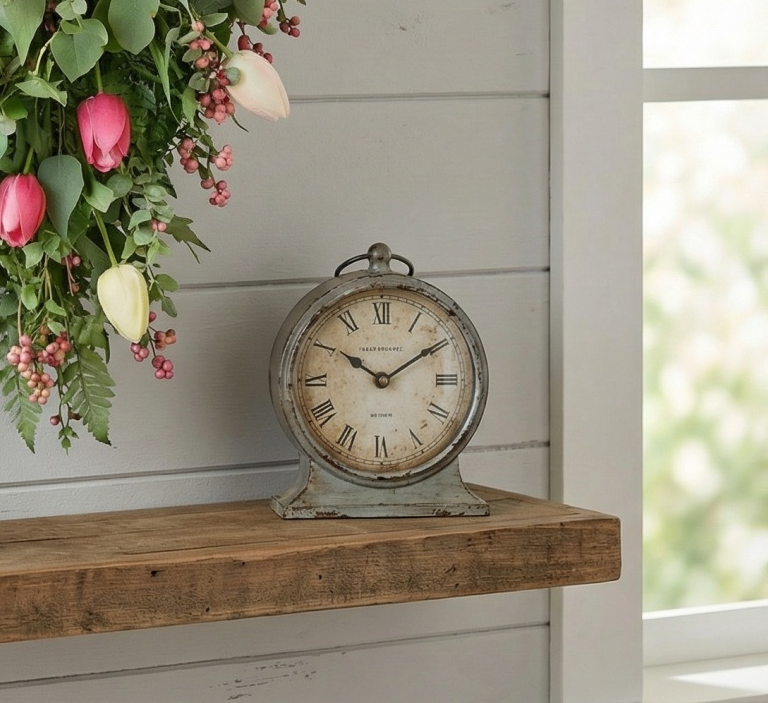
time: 10:09
